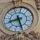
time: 8:26
